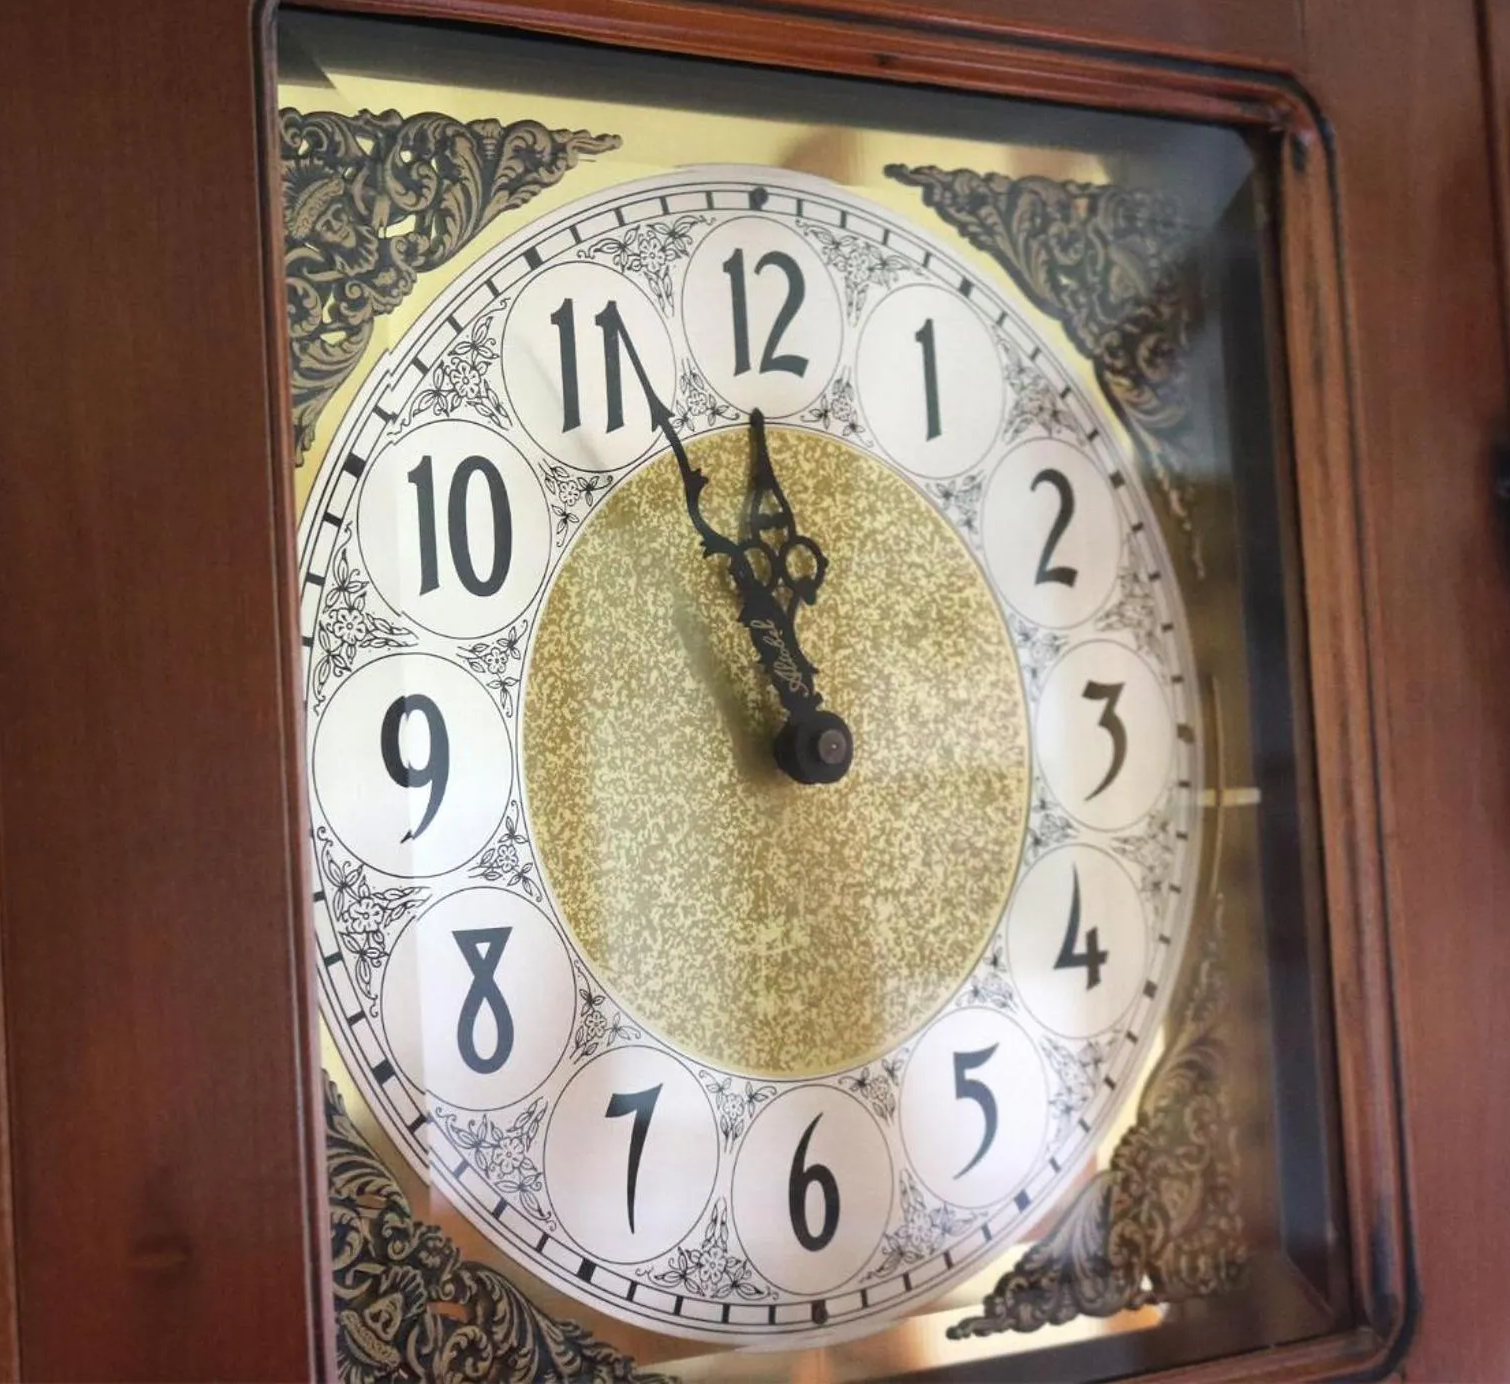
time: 11:55
